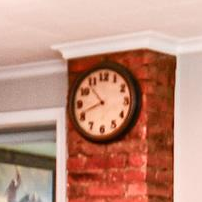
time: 10:41
